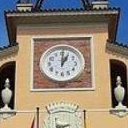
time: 1:00
